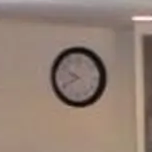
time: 9:41
